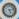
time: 5:12
